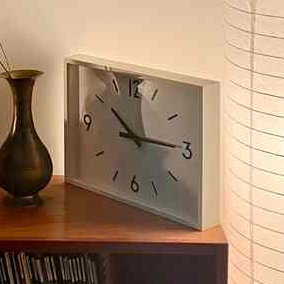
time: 10:14
